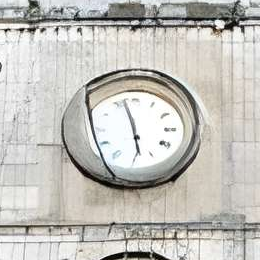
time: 5:57
